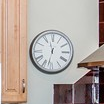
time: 11:32
